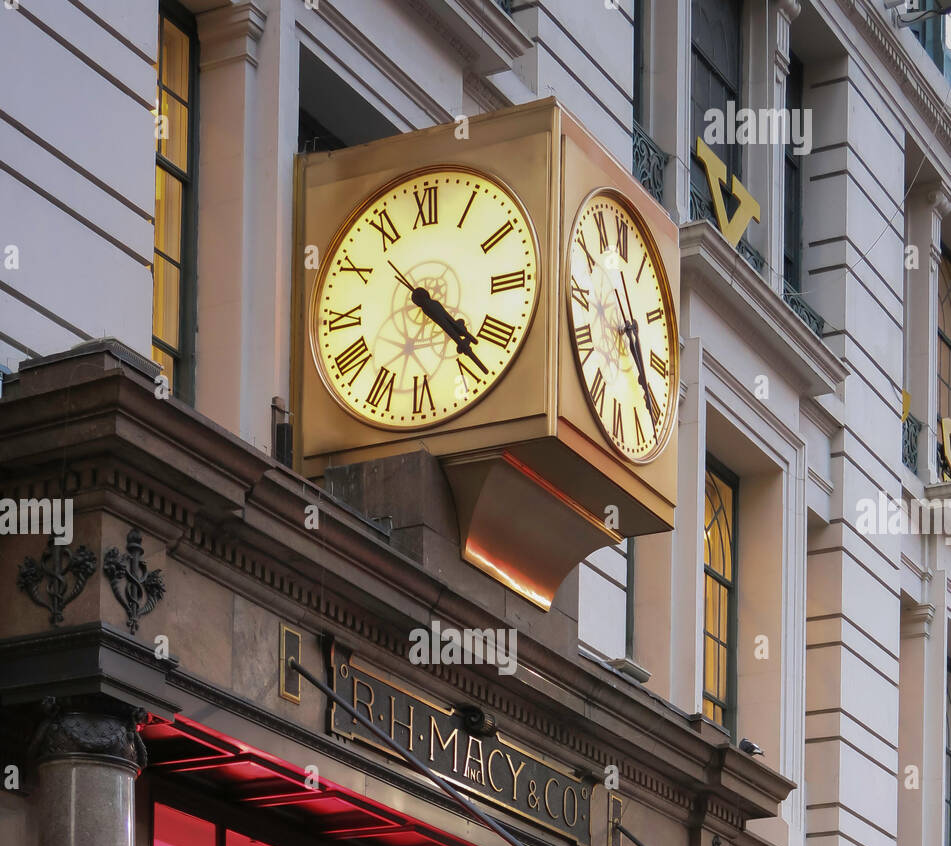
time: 4:22
